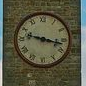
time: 9:17
